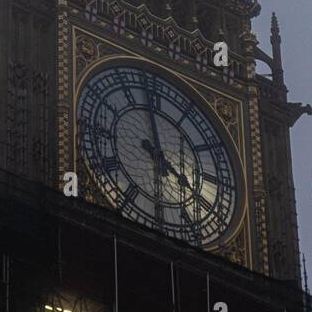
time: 3:58
